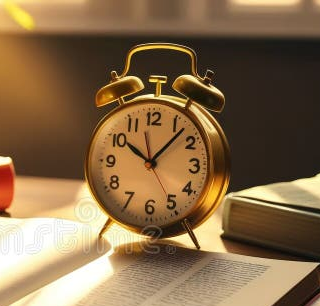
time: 10:07
